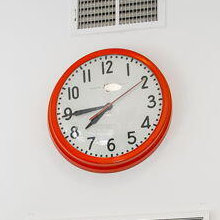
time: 7:44
